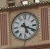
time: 5:18
